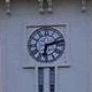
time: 6:12
